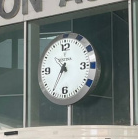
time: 10:35
